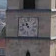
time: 10:47
